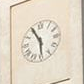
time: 5:55
